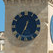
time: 12:34
